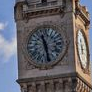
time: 11:28
